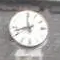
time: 11:42
